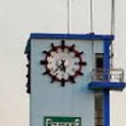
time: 5:37
